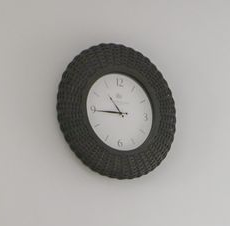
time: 10:44
